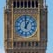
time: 12:59
